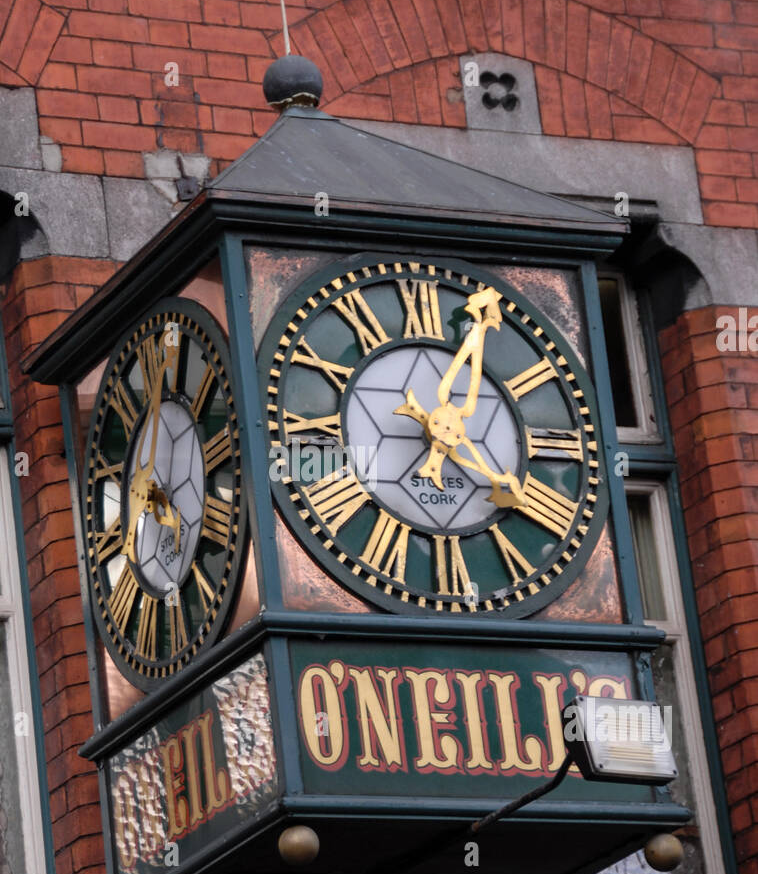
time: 4:04
